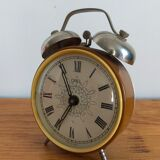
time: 6:55
